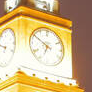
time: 6:50
